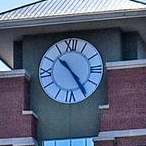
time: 10:24
